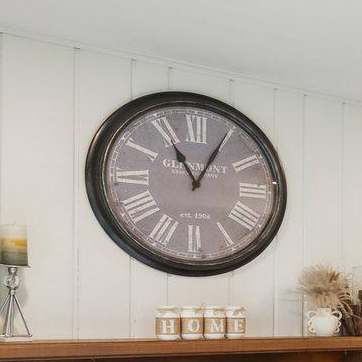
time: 11:04
